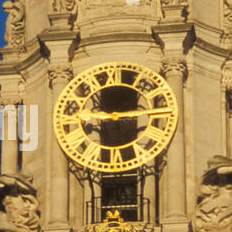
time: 9:13
